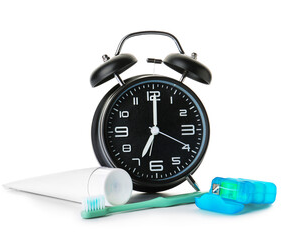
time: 7:00
